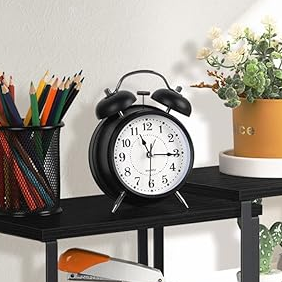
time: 11:15
